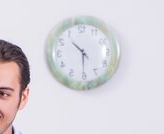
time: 10:30
